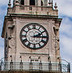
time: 2:15
